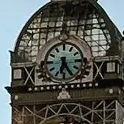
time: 6:25
